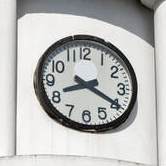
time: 8:19
